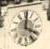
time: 4:01
